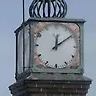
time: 12:09
